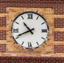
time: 10:41
